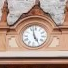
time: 4:57
